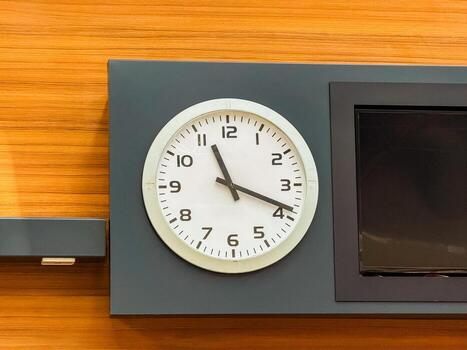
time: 11:18
